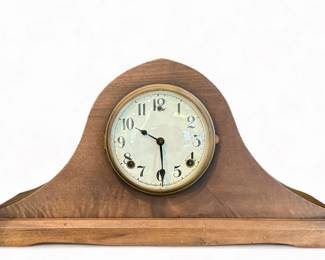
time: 9:29
